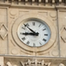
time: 8:52
